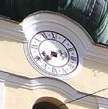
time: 7:12
